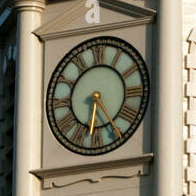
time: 6:25
